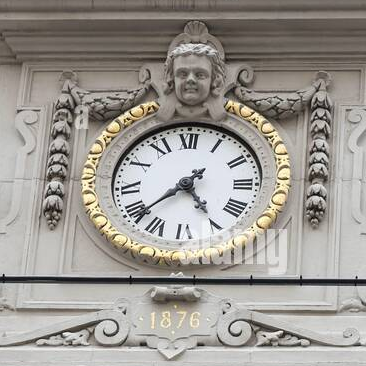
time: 4:38
